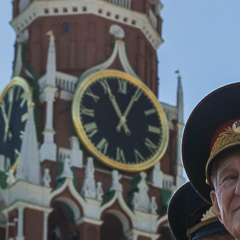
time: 11:04
